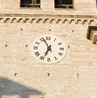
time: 6:56
